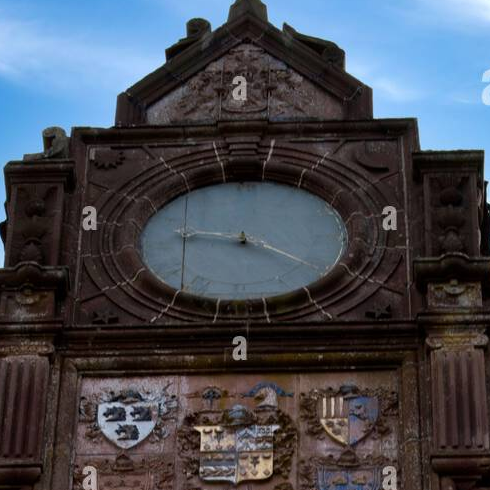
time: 9:20
